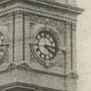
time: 4:14
